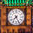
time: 7:25
